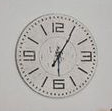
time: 6:05
